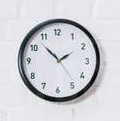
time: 1:52
